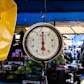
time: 5:59
